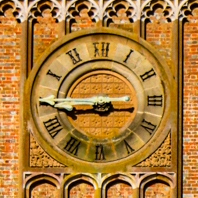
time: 8:45
